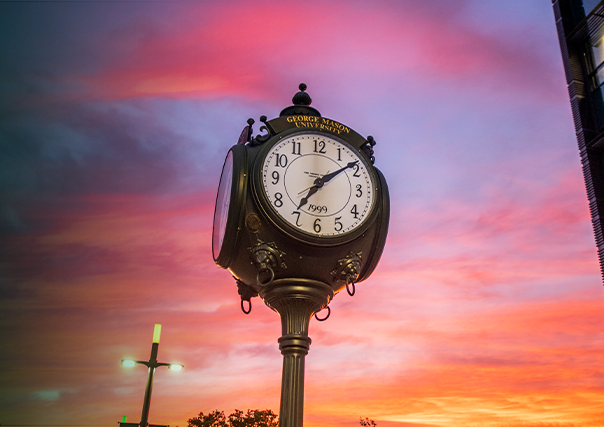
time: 7:08
